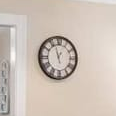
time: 12:57
